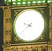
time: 9:38
